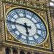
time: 5:46
